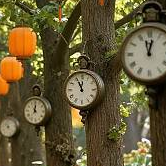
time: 11:55
